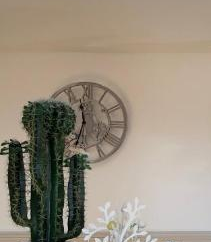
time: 11:33
